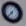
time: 7:37
